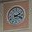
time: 2:18
